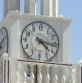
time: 4:16
